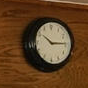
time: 10:14
